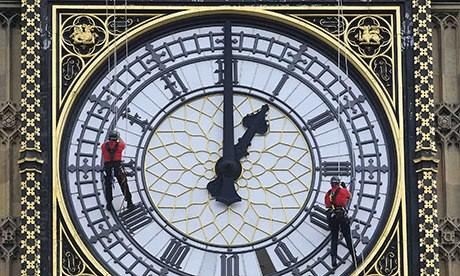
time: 1:00
